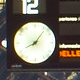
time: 8:06
